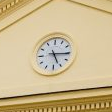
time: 5:15
